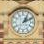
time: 1:11
